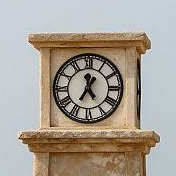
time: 11:35
